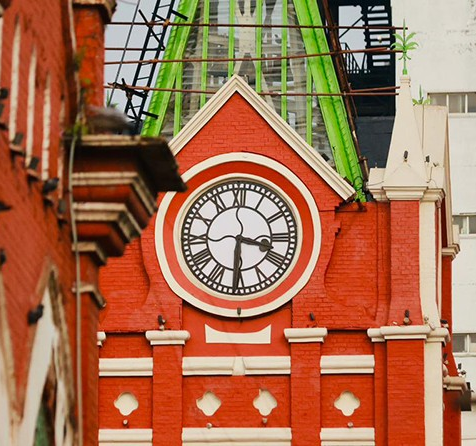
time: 3:30
